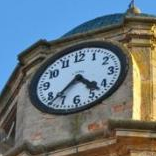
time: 4:37
